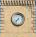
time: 7:37
